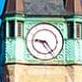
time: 9:23
